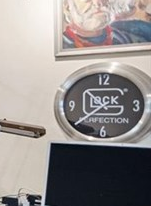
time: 2:38
